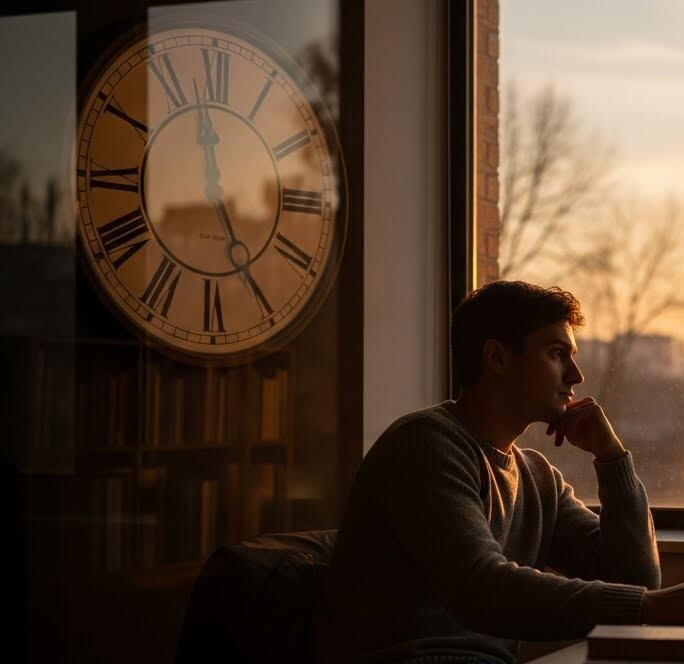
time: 11:25
